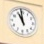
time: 10:58
